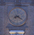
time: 8:20
